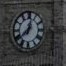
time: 12:38
